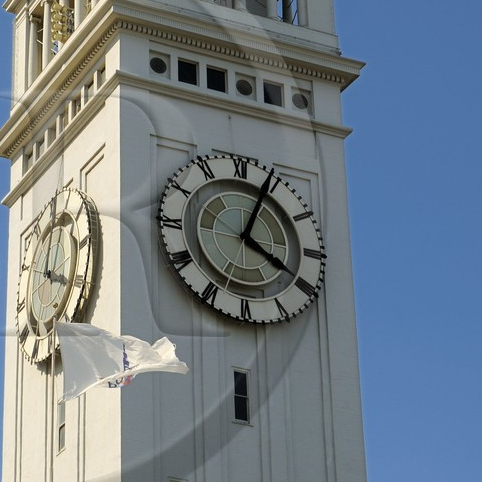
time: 4:04
